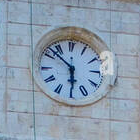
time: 5:52
